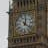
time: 12:21
